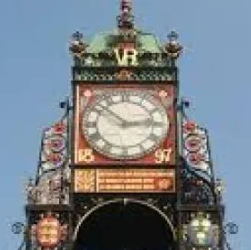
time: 2:52
